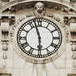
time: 5:57
